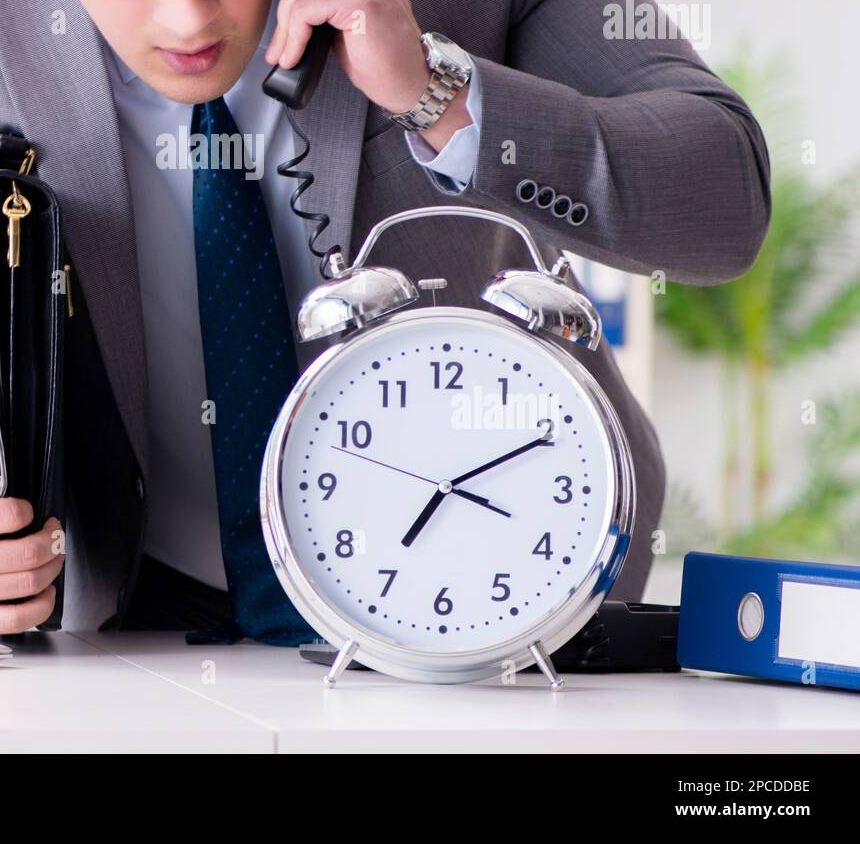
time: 7:10
